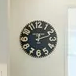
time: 12:11
